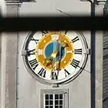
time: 7:30
